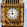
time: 11:44
